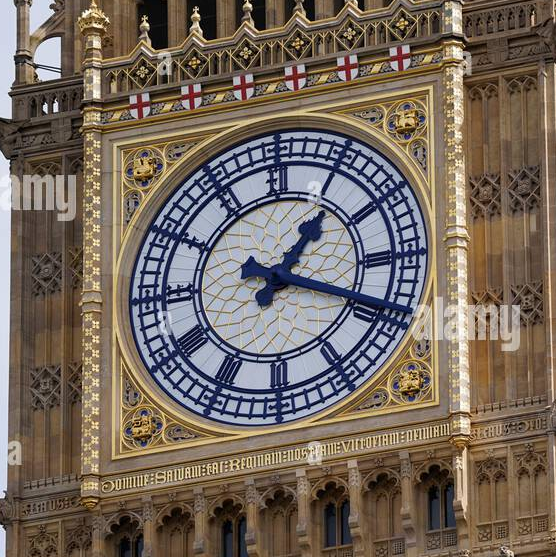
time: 1:18
